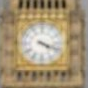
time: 4:18
